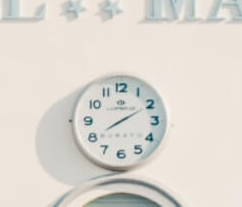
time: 8:10
